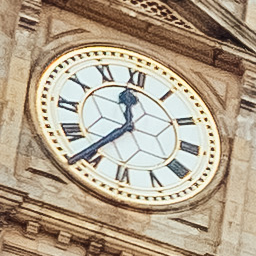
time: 11:36
